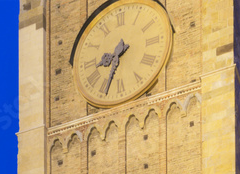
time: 8:33
